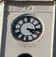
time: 4:16
